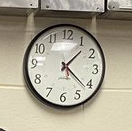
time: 1:21
